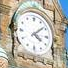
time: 4:08
